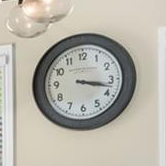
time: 3:17
